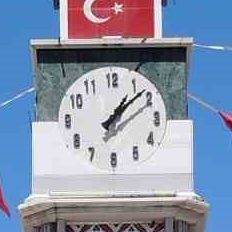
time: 1:08
